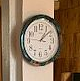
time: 1:08
